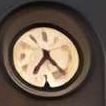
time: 7:23
